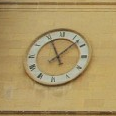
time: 11:07
